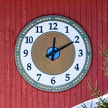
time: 12:10
